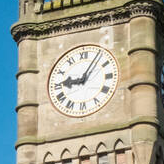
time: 9:05
